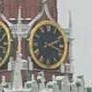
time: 2:18
